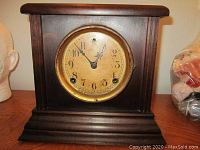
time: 12:52
